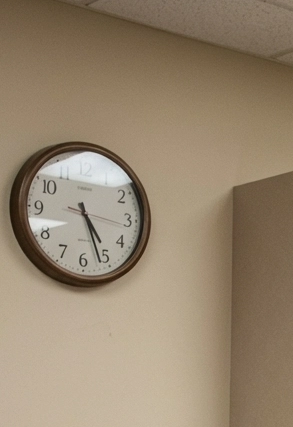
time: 4:26
